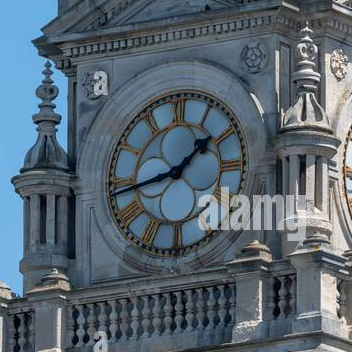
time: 1:43
